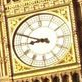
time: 8:49
